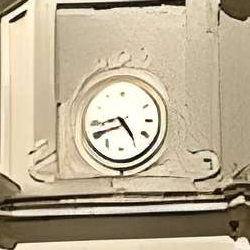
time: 4:41
